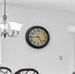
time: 4:44
